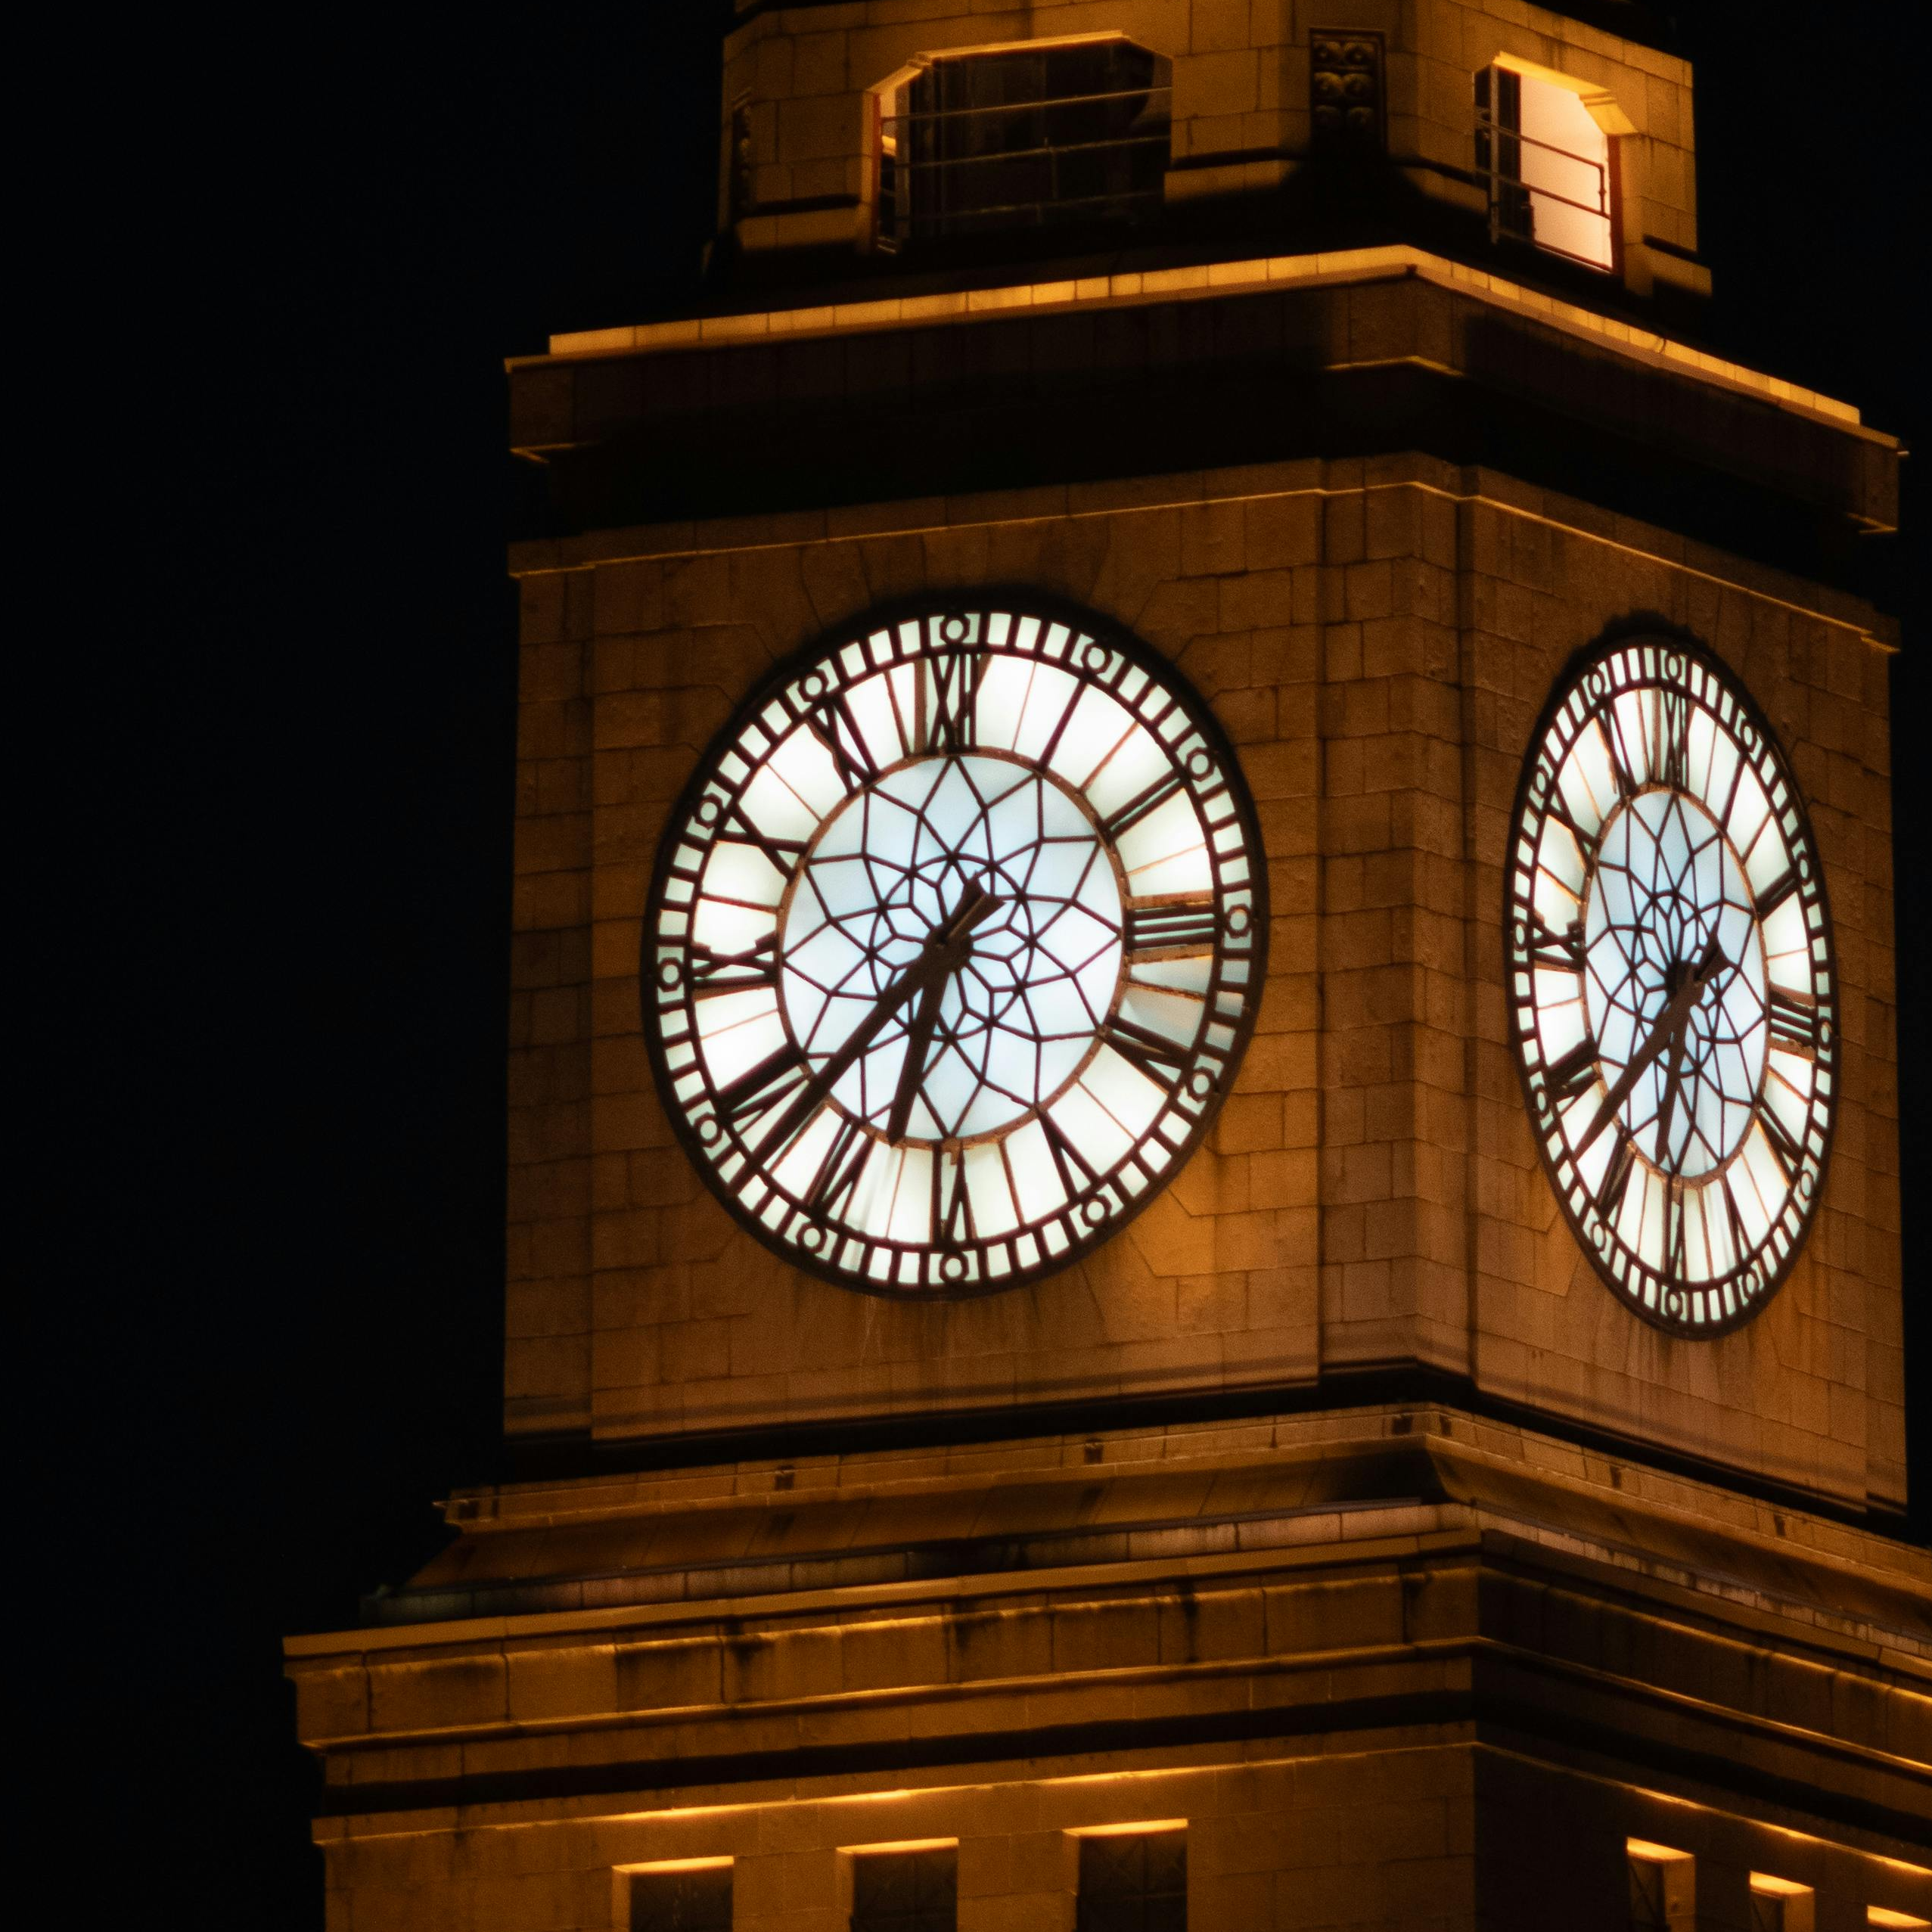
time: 6:37
